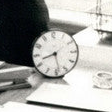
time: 8:28
